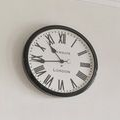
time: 10:43
